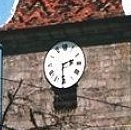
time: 2:30
